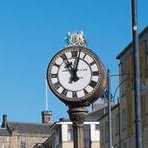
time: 11:02
